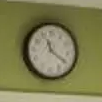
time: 11:20
